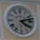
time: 4:12
